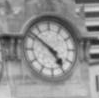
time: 4:51
